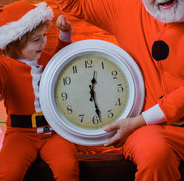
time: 12:28
